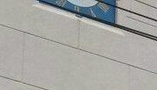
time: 3:48
